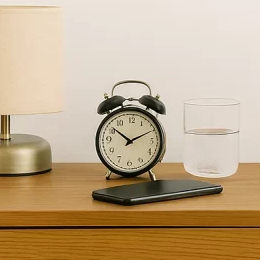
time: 10:10
